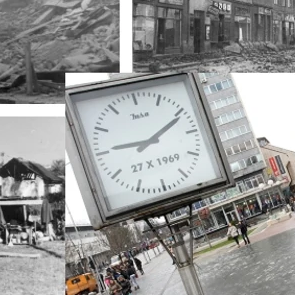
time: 9:11
